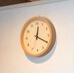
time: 12:19
